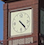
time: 4:22
